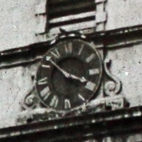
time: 3:52
